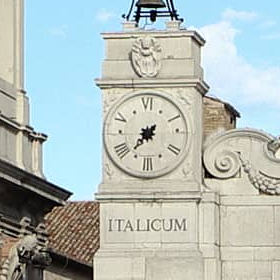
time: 7:37
